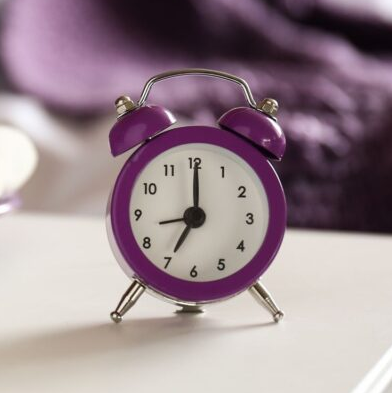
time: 7:00
